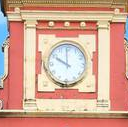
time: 9:59
